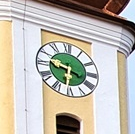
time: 9:31
